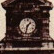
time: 1:32
